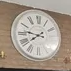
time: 7:46
